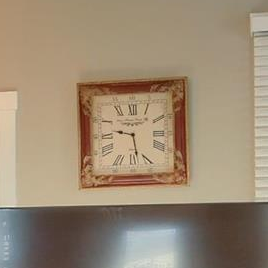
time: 9:28
